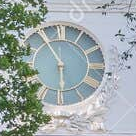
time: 5:54
